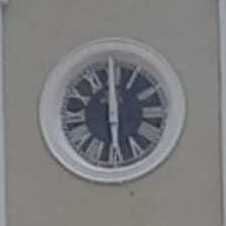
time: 5:59
